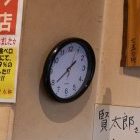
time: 1:38
